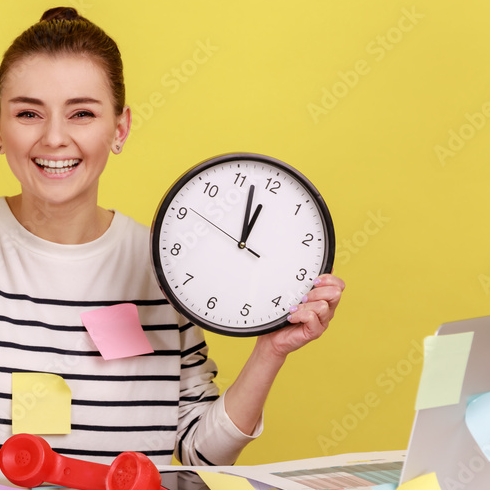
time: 11:56
